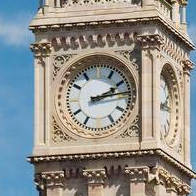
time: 2:13
